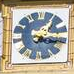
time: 1:16
